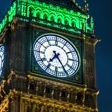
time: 7:24
